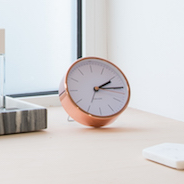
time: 2:14
